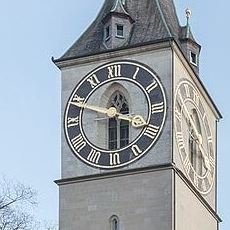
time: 12:29
